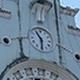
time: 5:54
